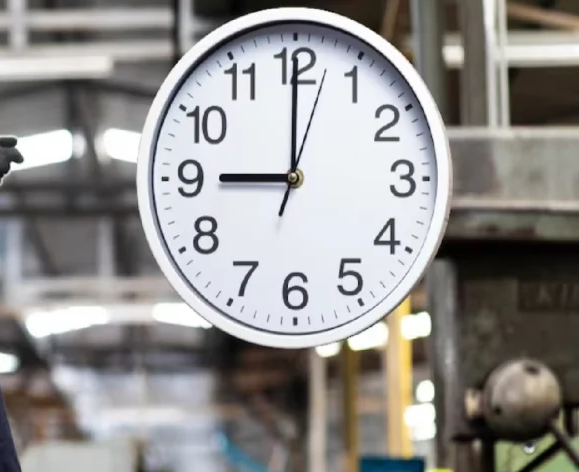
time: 9:00
